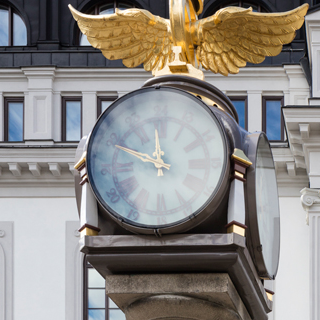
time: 11:48
